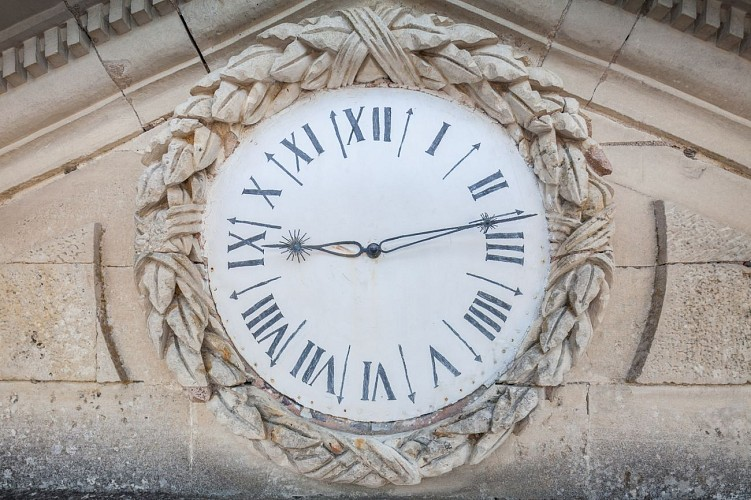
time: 9:13
